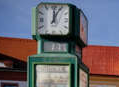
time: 12:04
